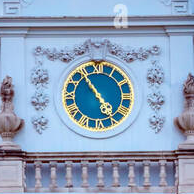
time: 4:54
